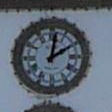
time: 2:01
